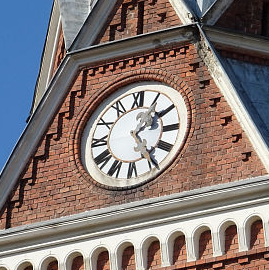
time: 1:24
